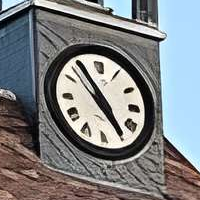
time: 4:54
